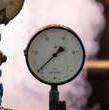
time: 1:37
